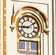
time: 9:09
